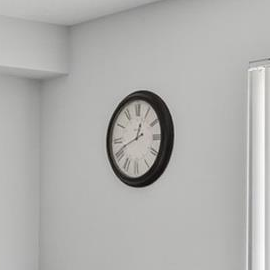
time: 12:41
